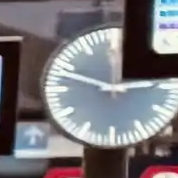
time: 2:48
